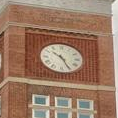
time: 10:25
